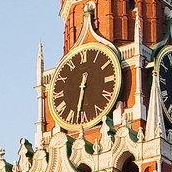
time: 12:32
